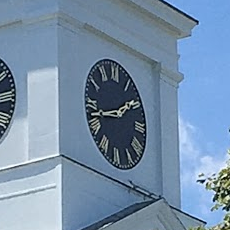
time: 1:42
